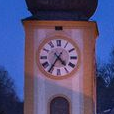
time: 4:35
